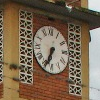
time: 6:34
